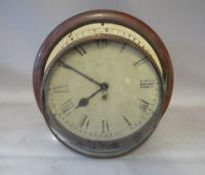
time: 7:50
